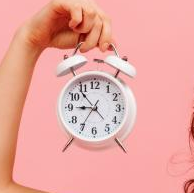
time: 8:53
